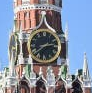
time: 2:38
